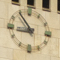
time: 8:54
